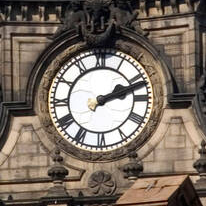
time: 2:11
